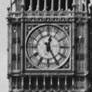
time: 12:24
